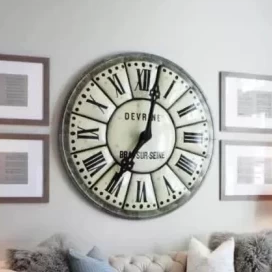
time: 7:02
